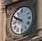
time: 9:50
